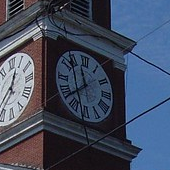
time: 11:37
